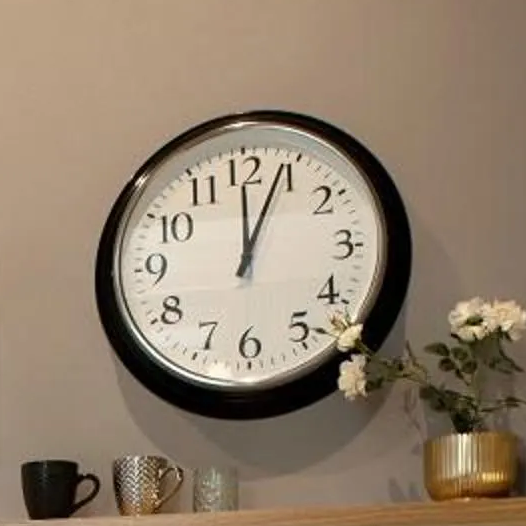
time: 12:04
